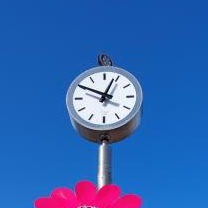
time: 12:49
